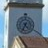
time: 4:34
